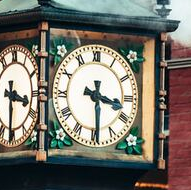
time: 3:29
